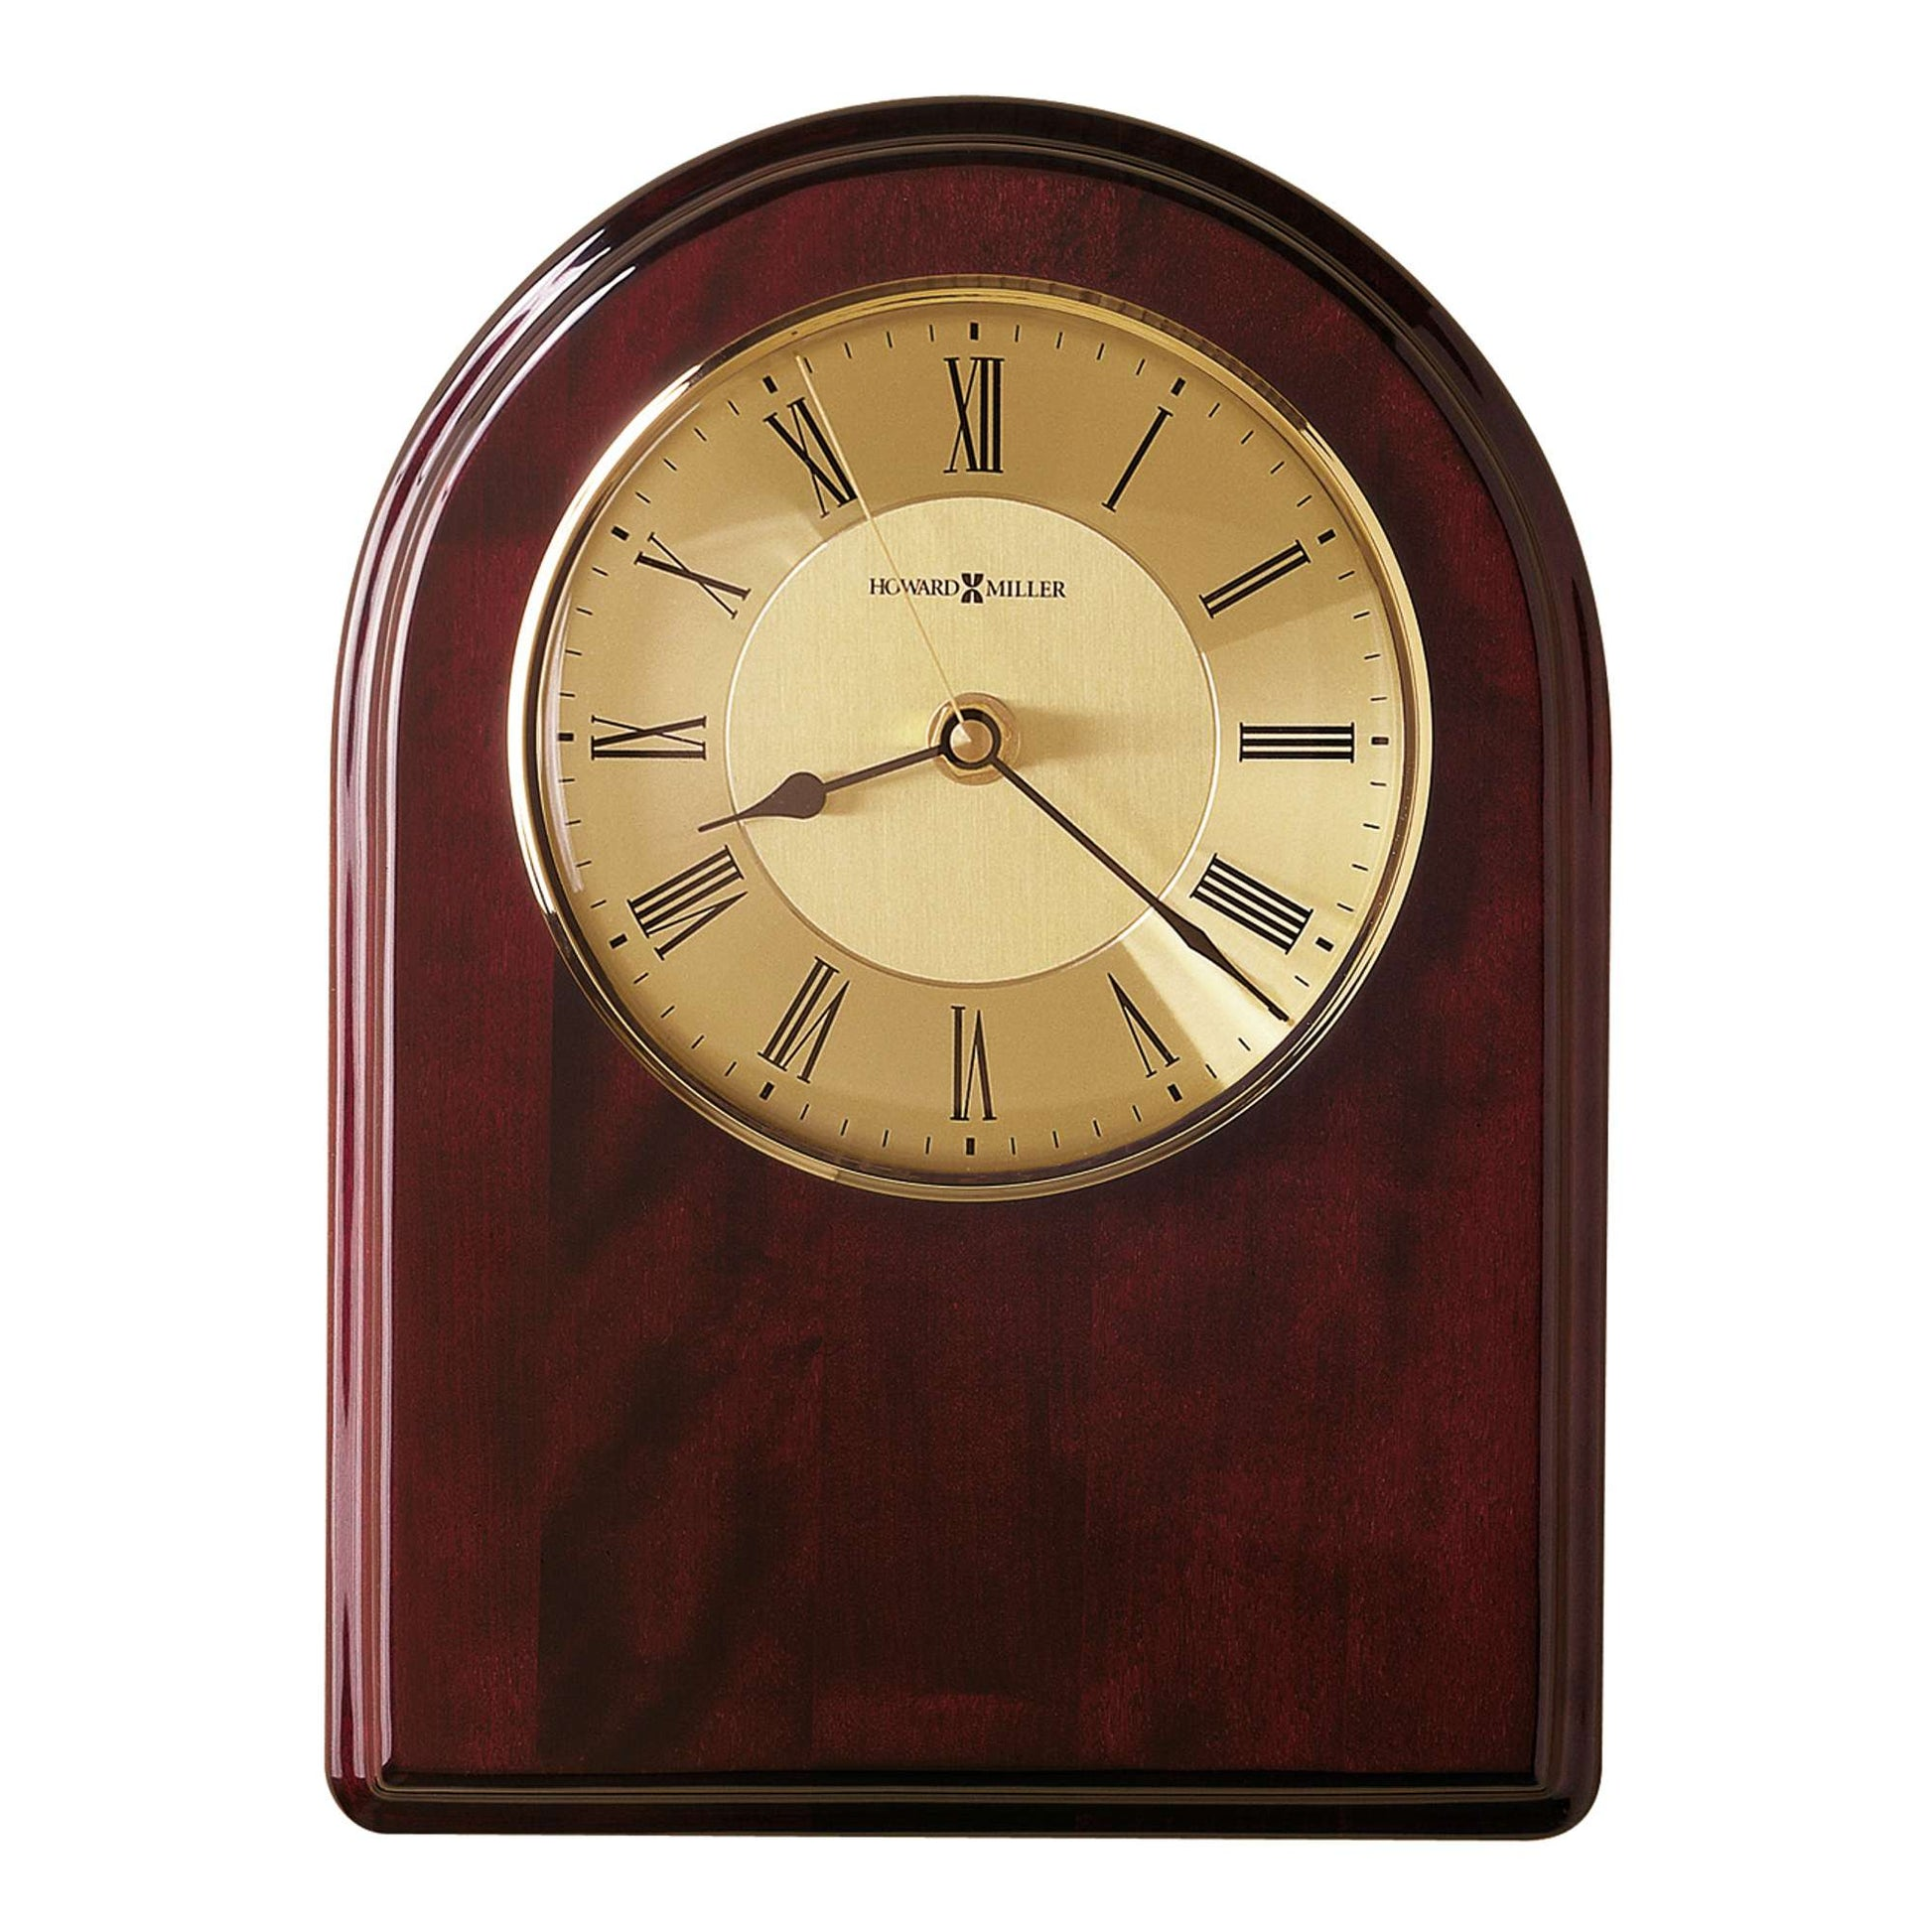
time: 8:21
